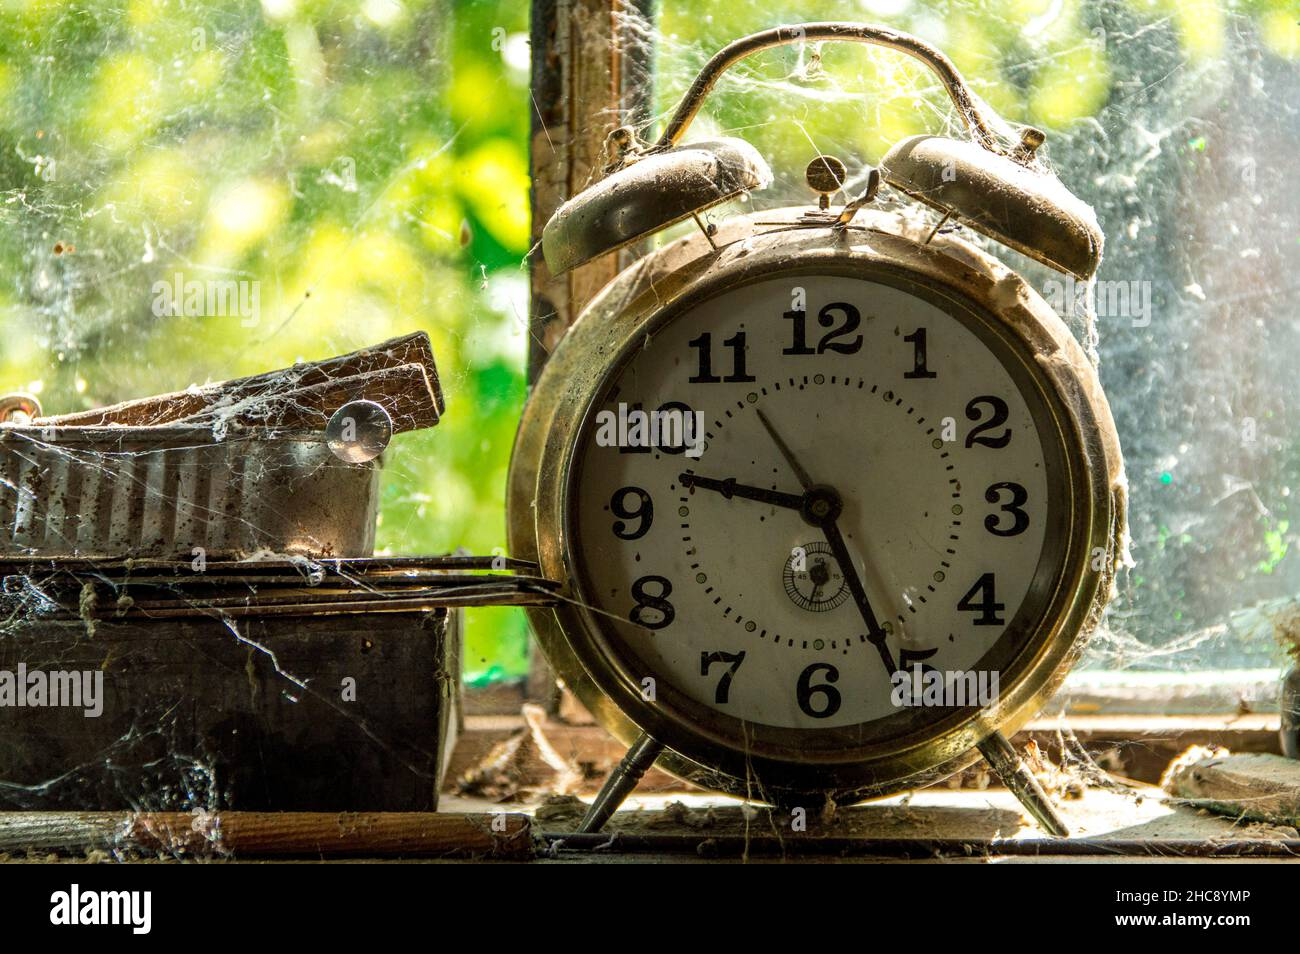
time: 9:25
